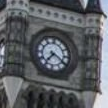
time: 7:20
